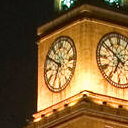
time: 6:49
